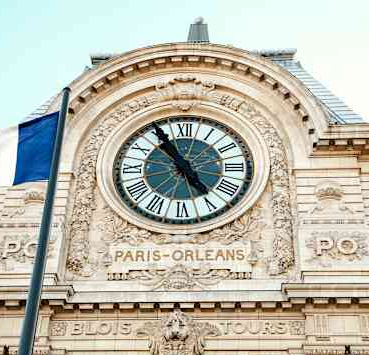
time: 4:54
